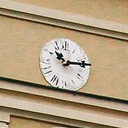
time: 10:12
